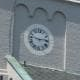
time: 2:46
